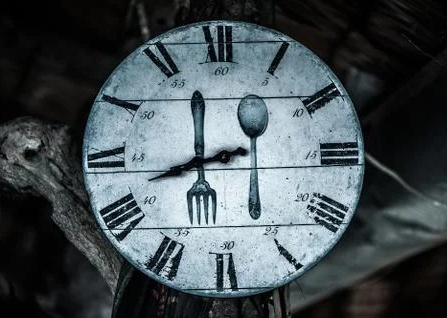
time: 11:41
